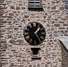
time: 1:24
